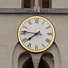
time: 7:46
